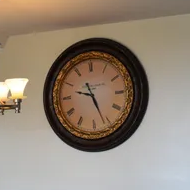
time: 9:26
